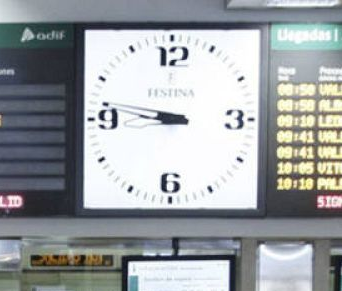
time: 8:46
